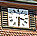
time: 3:30
